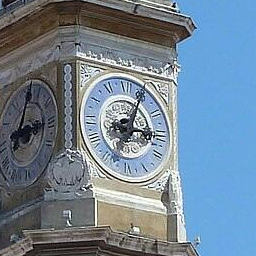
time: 3:04
